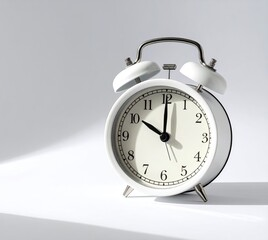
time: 10:00
